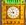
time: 8:57
